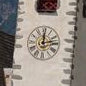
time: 12:12
